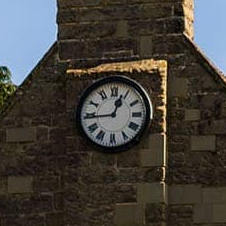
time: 12:44
